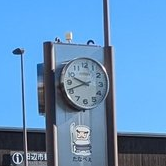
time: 9:41
